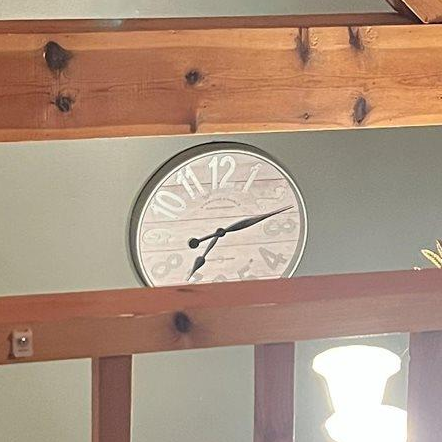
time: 7:12
